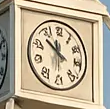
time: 11:52
